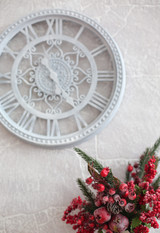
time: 10:24
